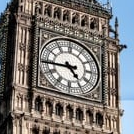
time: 4:44
